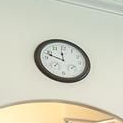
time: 11:48
